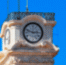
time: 2:48
